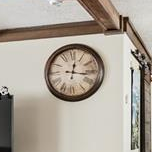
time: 12:16
